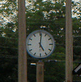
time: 5:01
